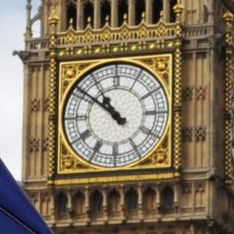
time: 10:50
